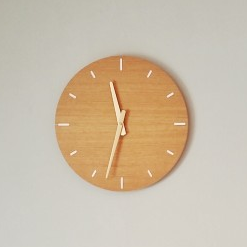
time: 11:32
